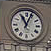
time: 11:03
